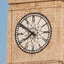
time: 7:50
